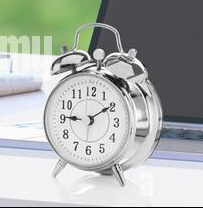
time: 9:09
